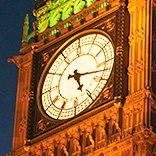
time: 5:17
